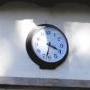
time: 3:32
